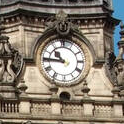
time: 10:45
